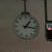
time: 1:16
